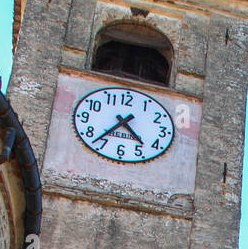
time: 4:36
